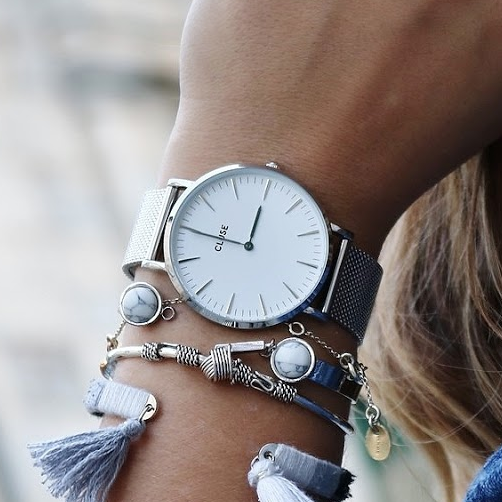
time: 12:49
